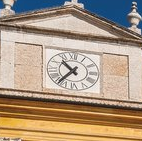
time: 10:36
